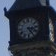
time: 3:24
